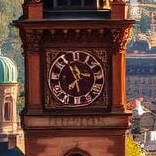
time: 6:56
